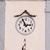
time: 2:56
